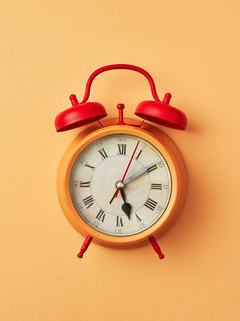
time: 5:10
